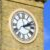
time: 2:11
